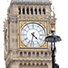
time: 4:32
